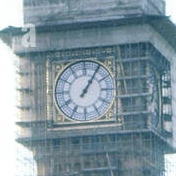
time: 1:05
